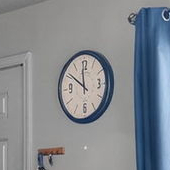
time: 11:50
